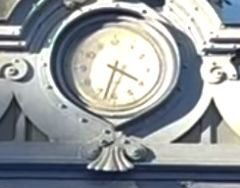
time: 3:32
